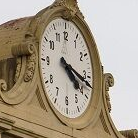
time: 4:17
